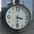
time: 3:30
